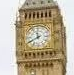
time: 11:40
